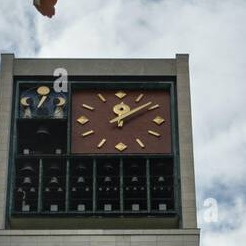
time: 12:08
